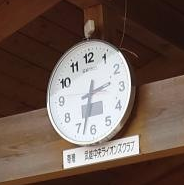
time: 2:32
